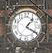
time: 1:20
